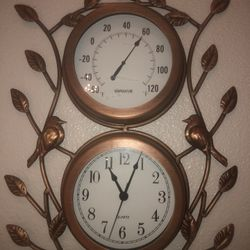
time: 11:04
